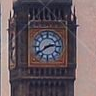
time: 2:39
